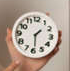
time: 1:29
